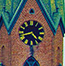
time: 4:42
